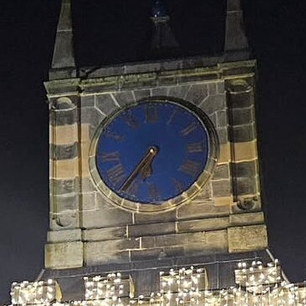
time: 6:36
